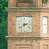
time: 2:38
